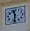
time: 11:31
